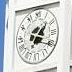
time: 1:18
